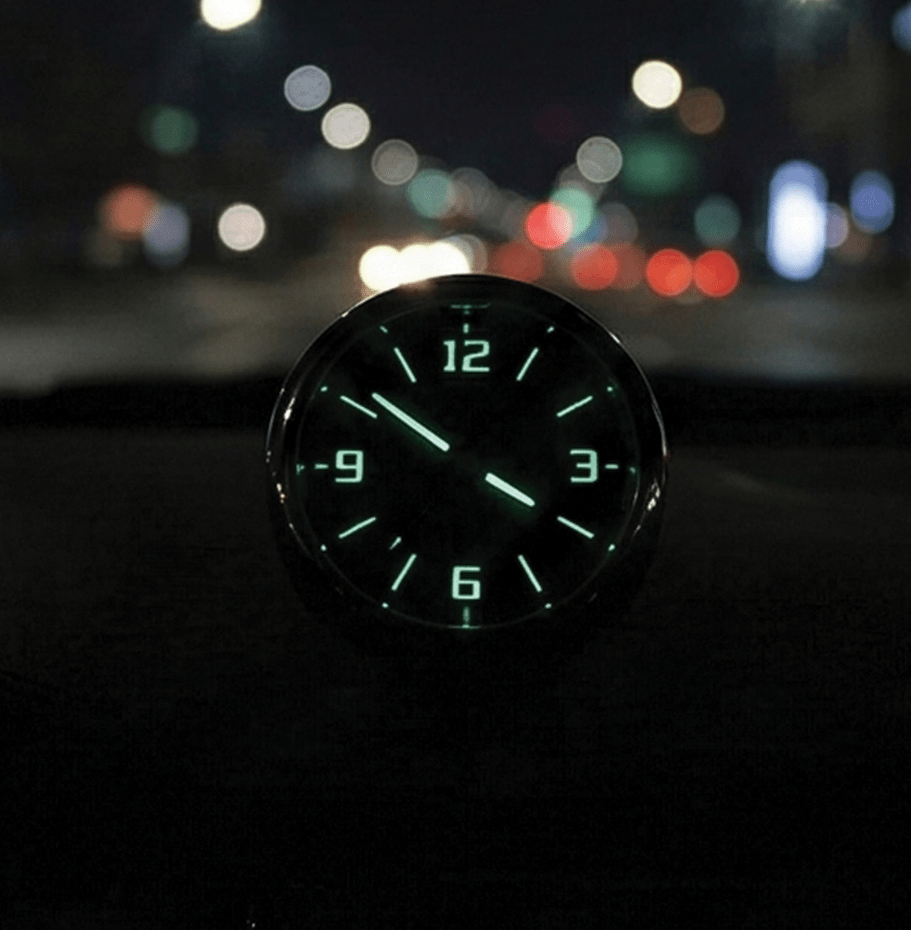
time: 3:51
